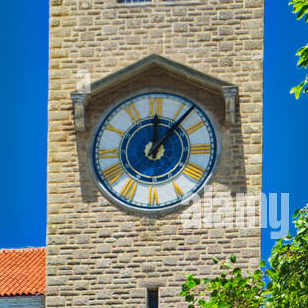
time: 12:06
